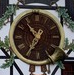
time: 10:35
